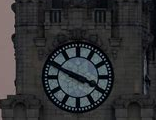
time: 3:48
